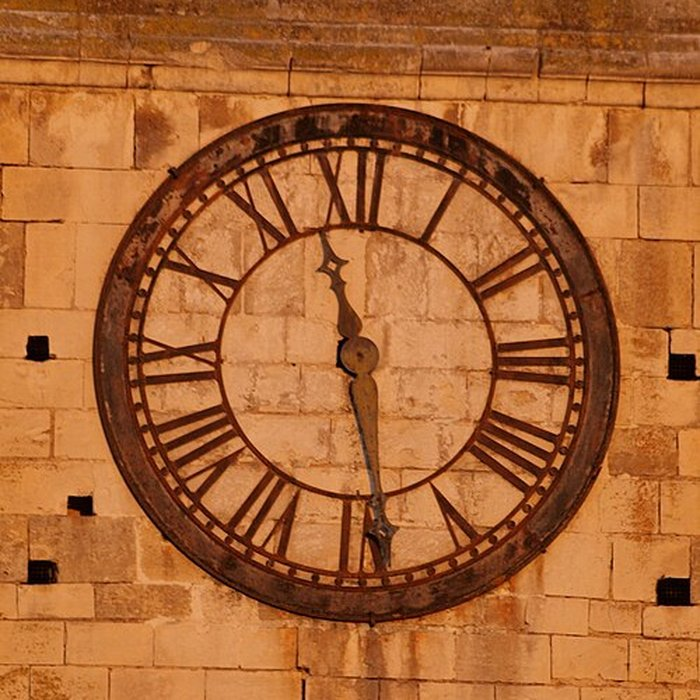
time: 11:28
